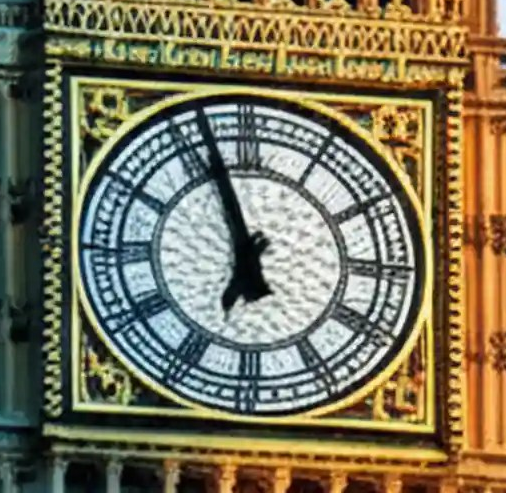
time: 6:56
